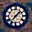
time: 7:07
